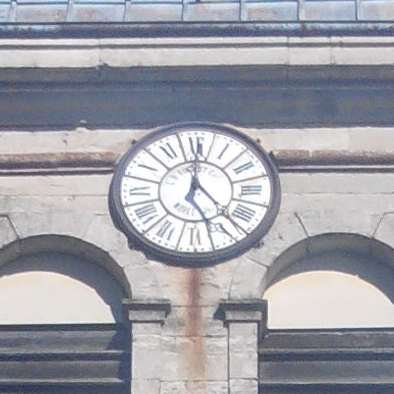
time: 12:22
